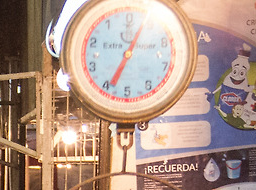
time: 12:34
